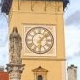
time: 6:07
